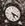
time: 5:18
